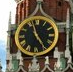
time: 4:57
